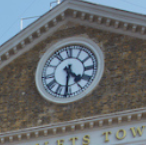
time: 4:31
